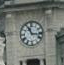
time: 11:16
